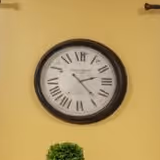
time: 2:23
